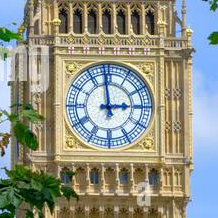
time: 2:58
